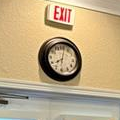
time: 8:01
